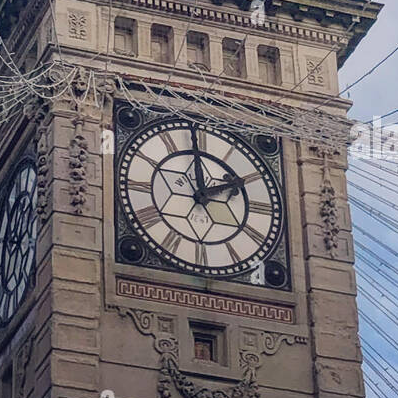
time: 1:59
